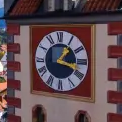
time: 1:18
